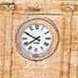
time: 7:49
